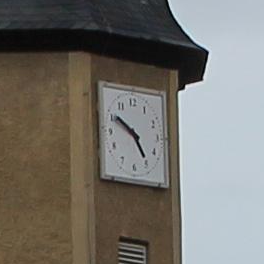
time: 4:50
